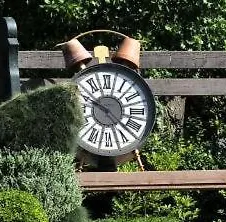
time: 9:22
